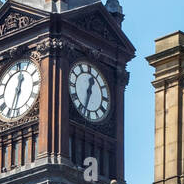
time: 12:32
